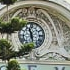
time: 11:28
